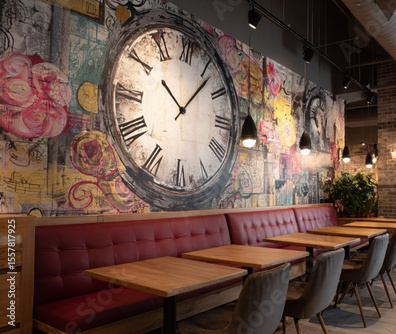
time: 10:06
